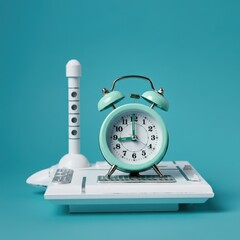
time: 8:59
